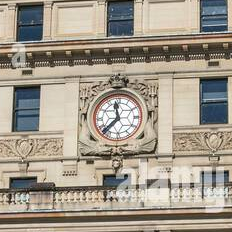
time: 11:37
